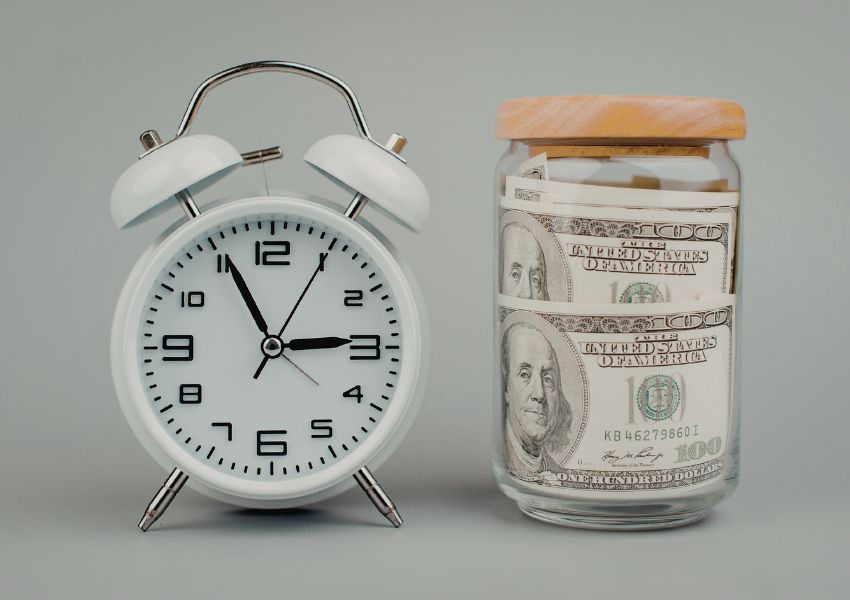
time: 2:55
